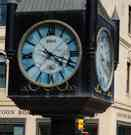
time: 4:18
